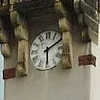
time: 6:10
